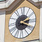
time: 2:18
